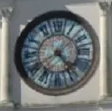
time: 4:40
